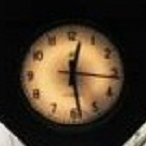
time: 12:28
